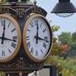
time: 12:16
